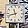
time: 11:42
